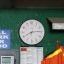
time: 8:14
